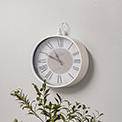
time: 10:49
